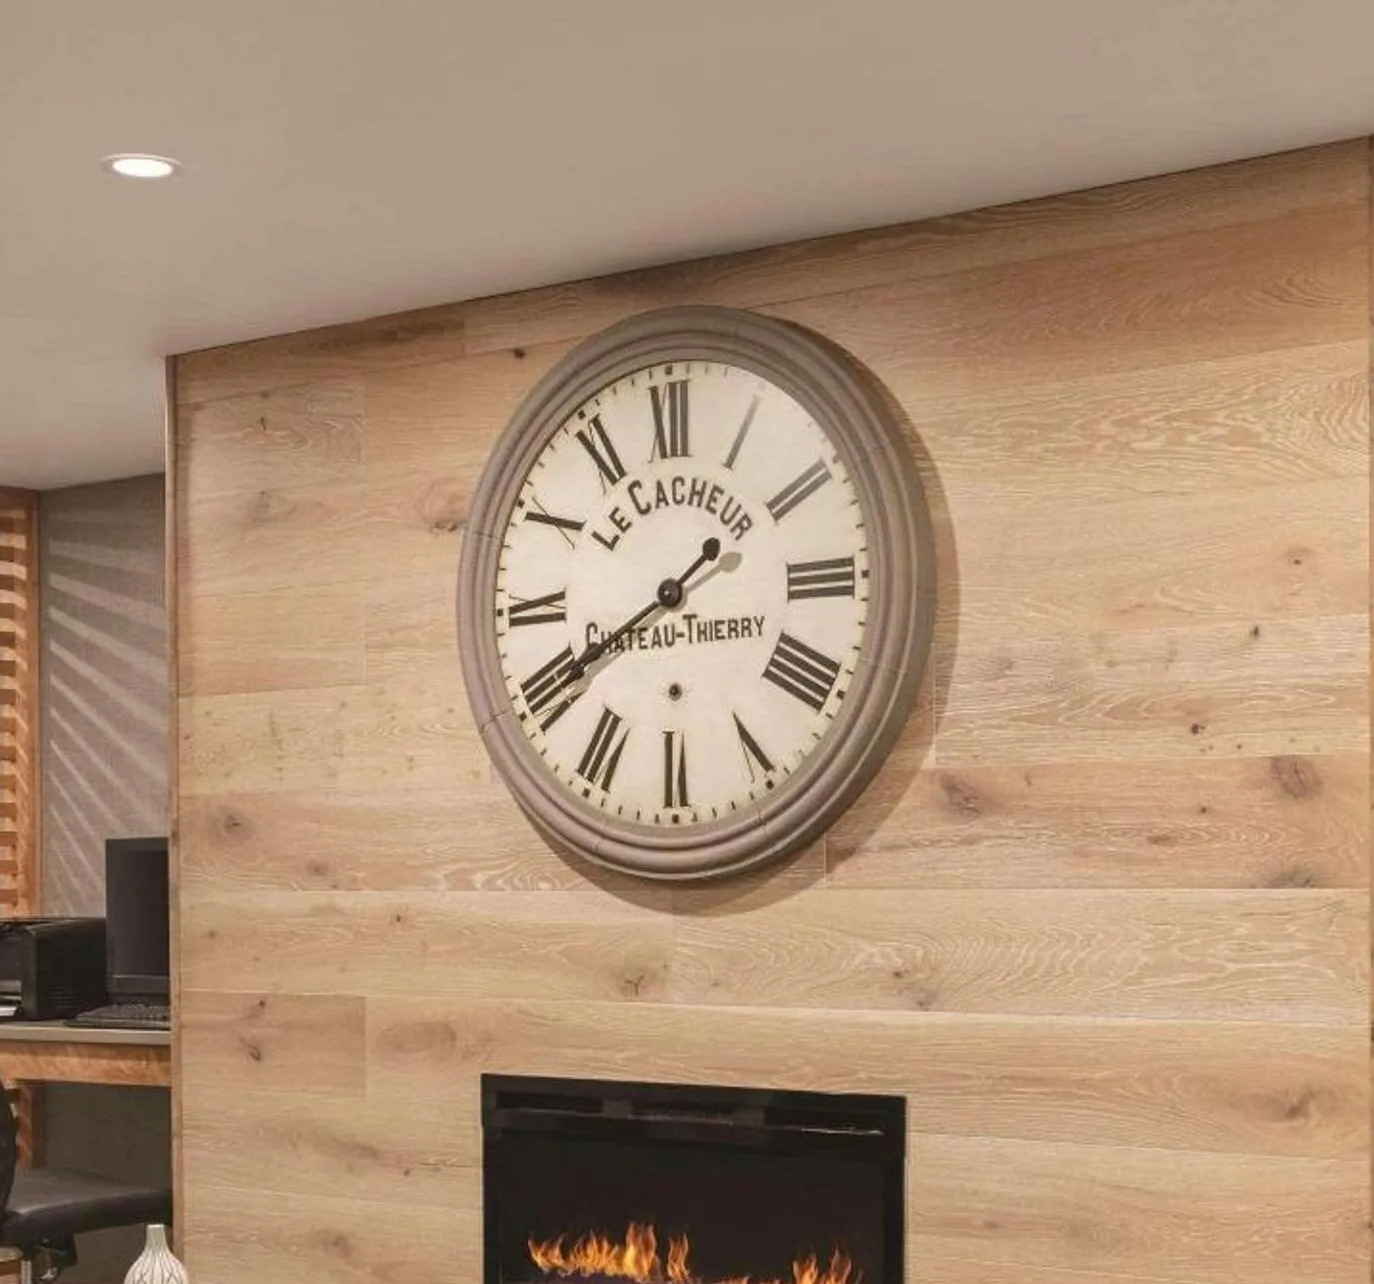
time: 1:40
